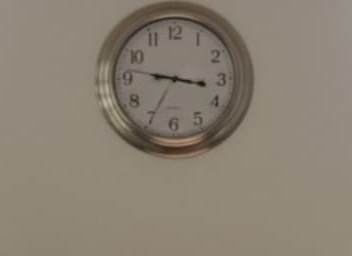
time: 9:16
